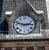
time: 2:48
